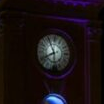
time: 7:55
